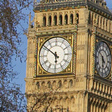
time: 5:51
